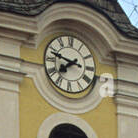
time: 7:47
